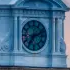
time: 7:11
